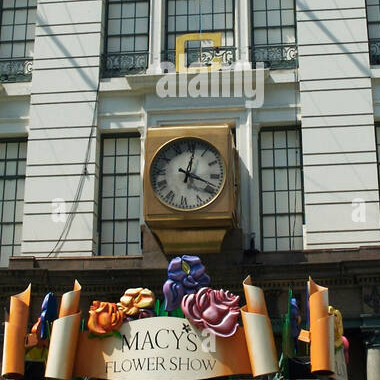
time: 12:18
